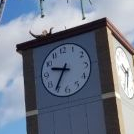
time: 9:35
